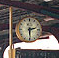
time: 2:30
